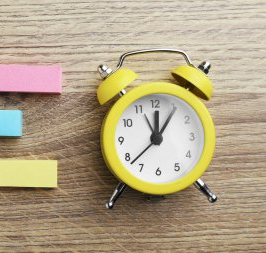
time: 12:05
